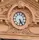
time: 5:24
